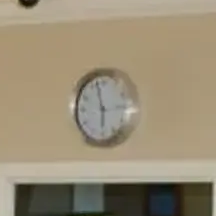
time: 5:57
